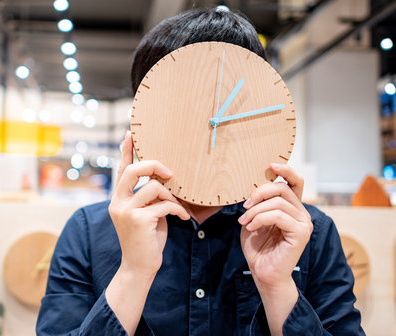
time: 1:13
